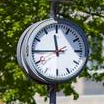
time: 11:44
